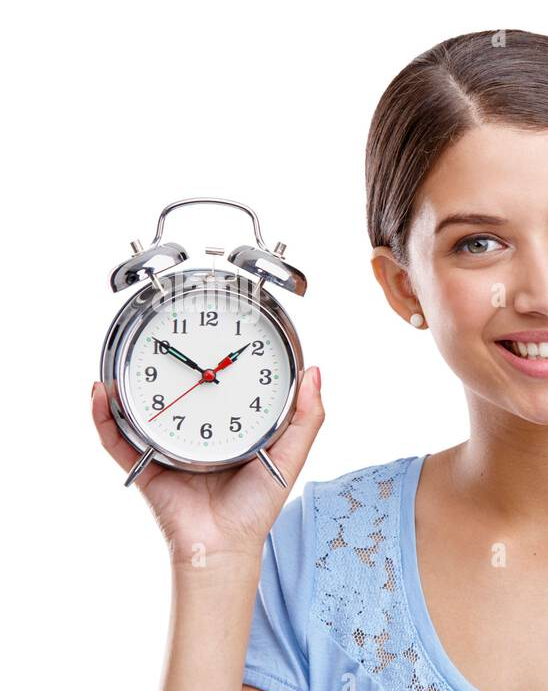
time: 1:50
